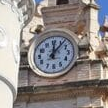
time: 12:06
